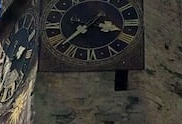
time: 3:38
